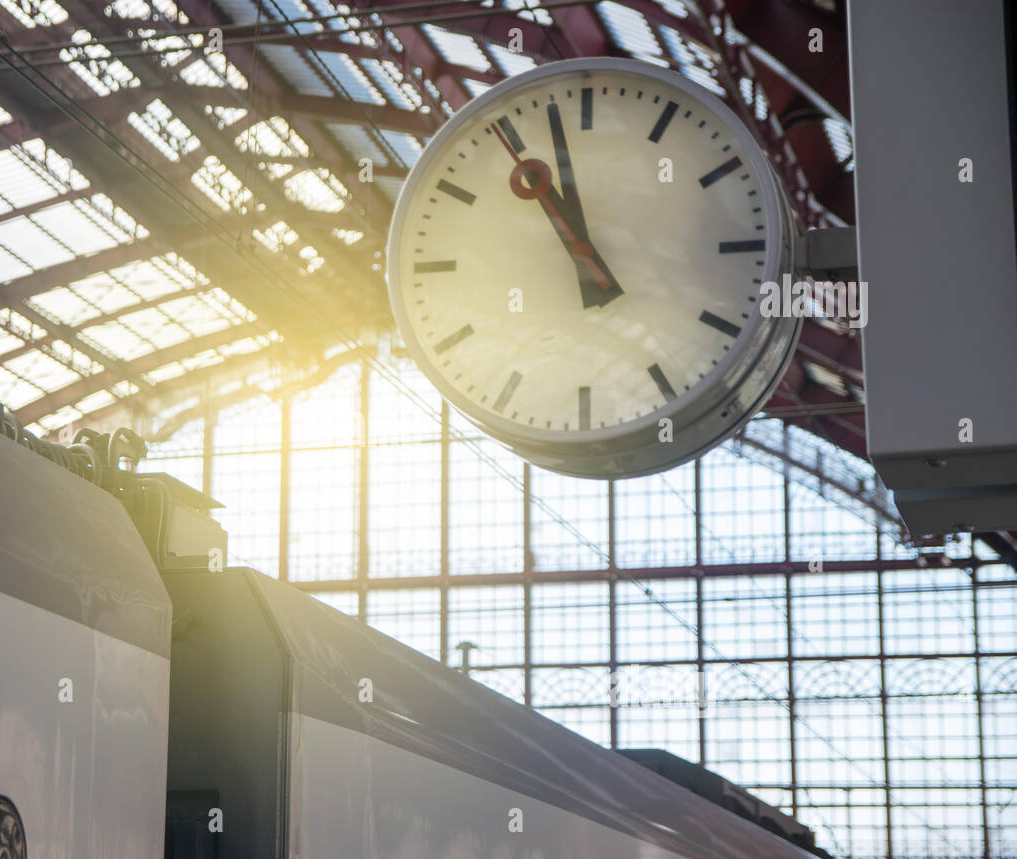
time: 10:57
